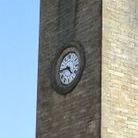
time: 4:44
